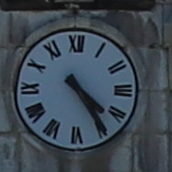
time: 4:24
